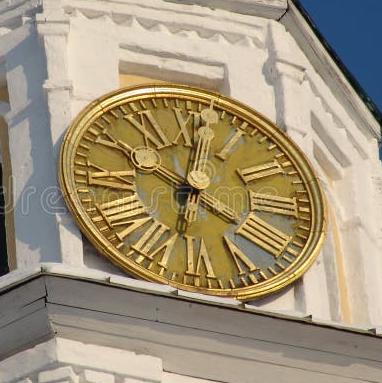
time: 4:01
